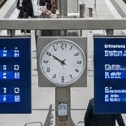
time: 9:50
